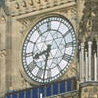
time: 8:32
